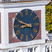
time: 8:48
